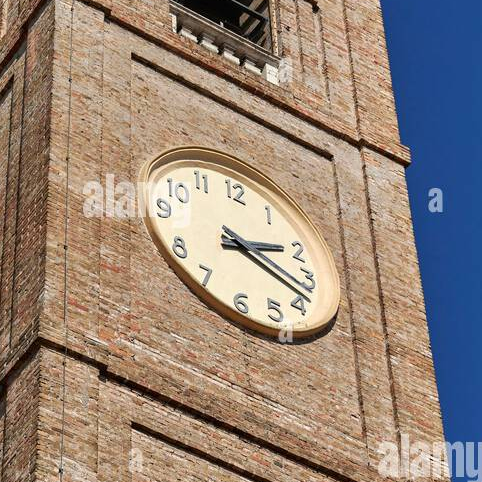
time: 2:18
